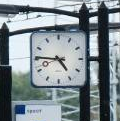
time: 4:45
